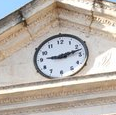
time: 9:12
